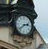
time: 2:38
